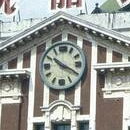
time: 10:19
